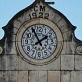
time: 1:56
